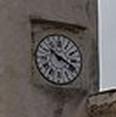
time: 10:19
